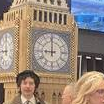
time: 8:59
